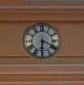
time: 6:19
